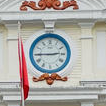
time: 2:45
